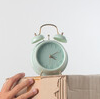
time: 4:10
